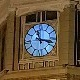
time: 11:17
